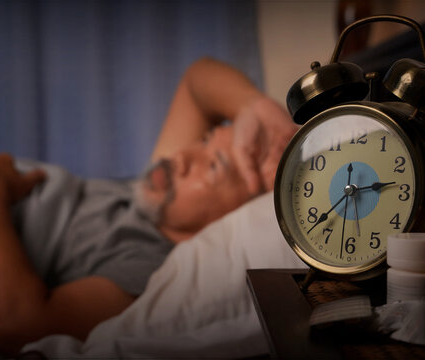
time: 2:38
